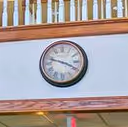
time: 3:47
